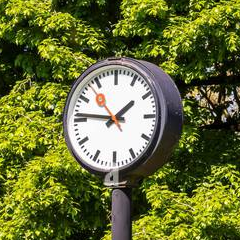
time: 1:46
